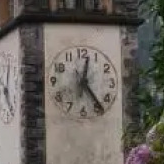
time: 12:23
